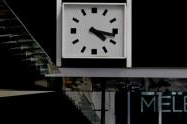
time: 4:17
